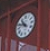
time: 10:48
